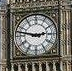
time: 2:47
